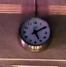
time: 5:09
